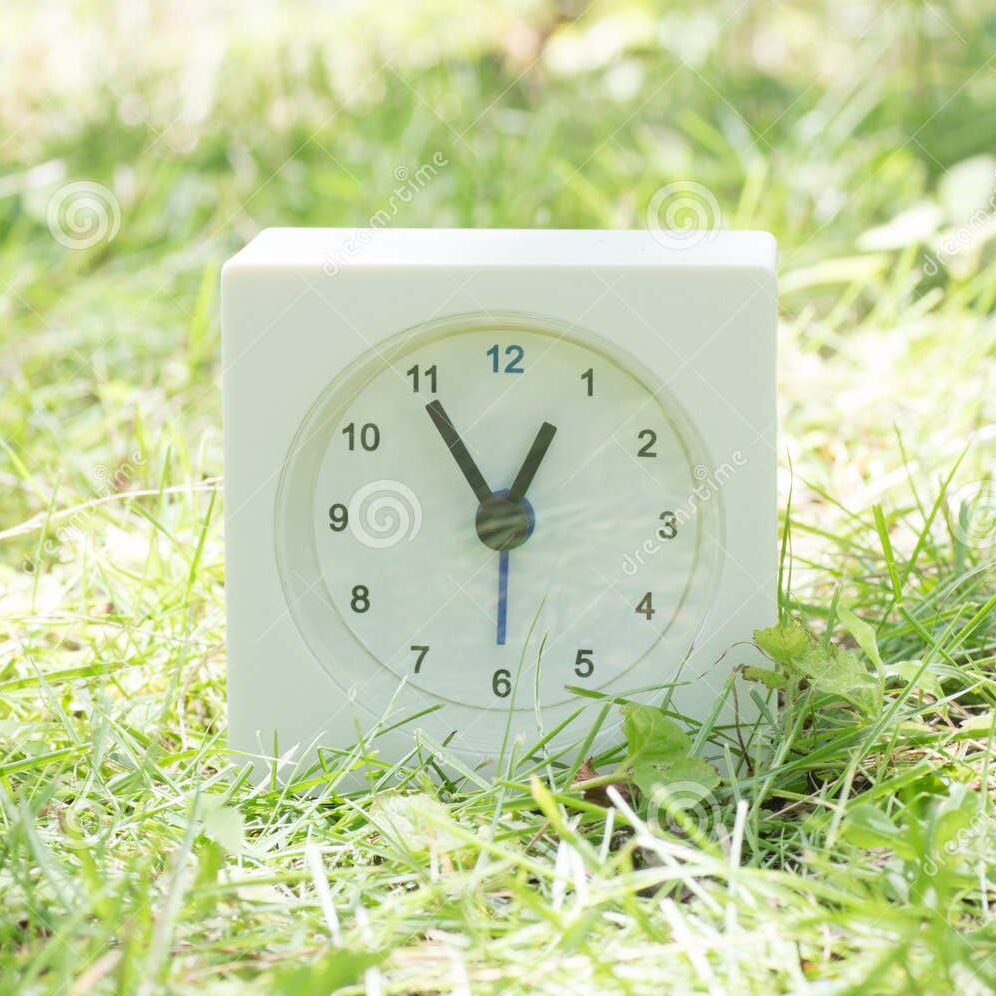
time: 12:54
